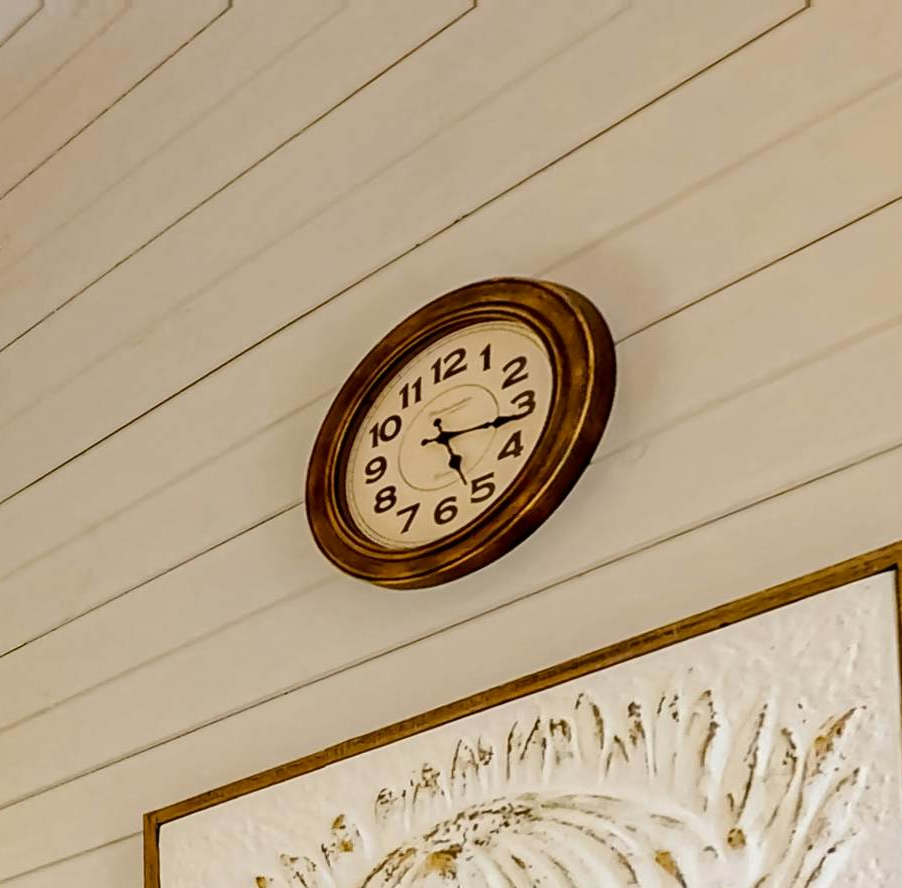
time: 5:16
